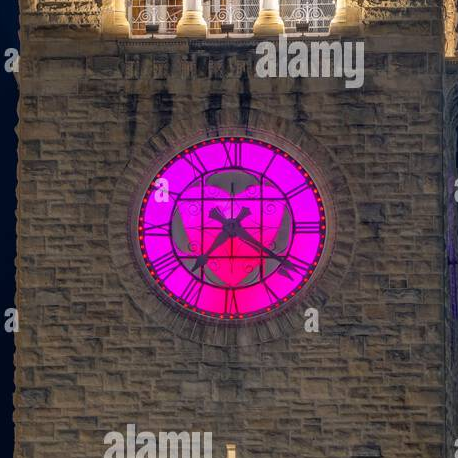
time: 7:20
